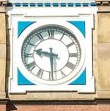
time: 9:29
